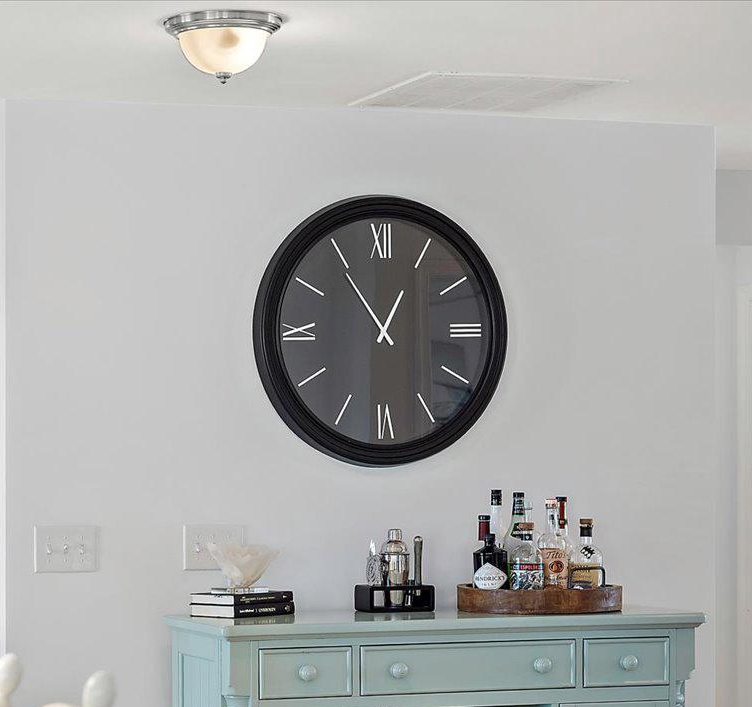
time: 12:54
